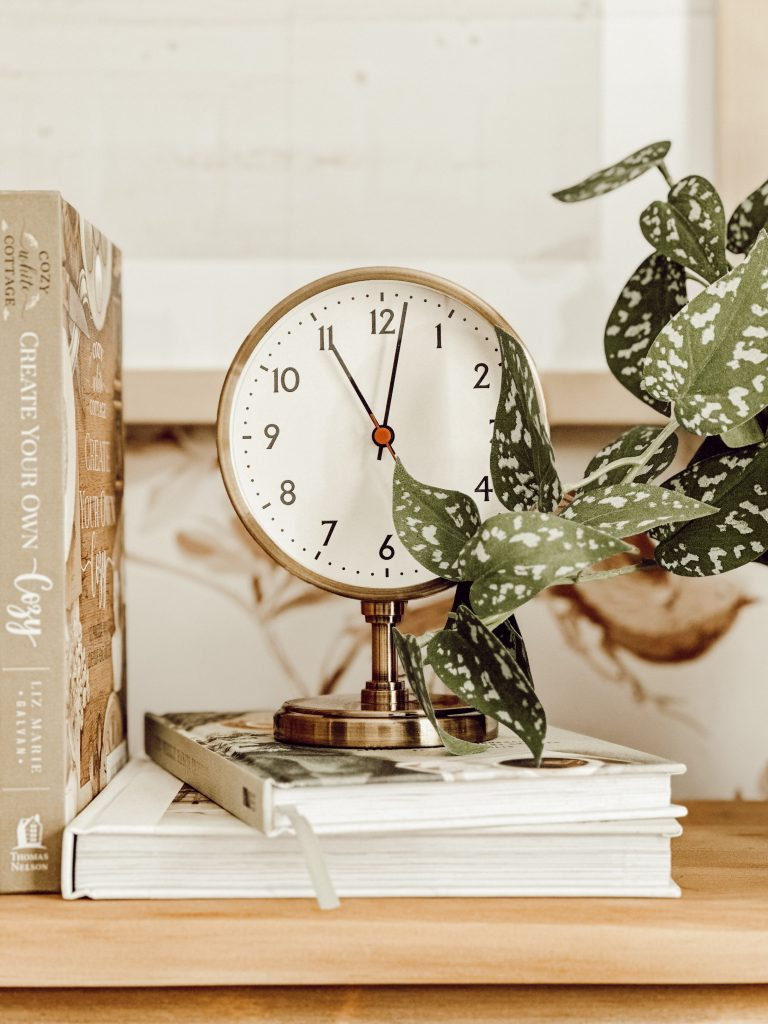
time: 11:02
